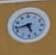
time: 5:42
